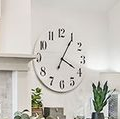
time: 4:05
